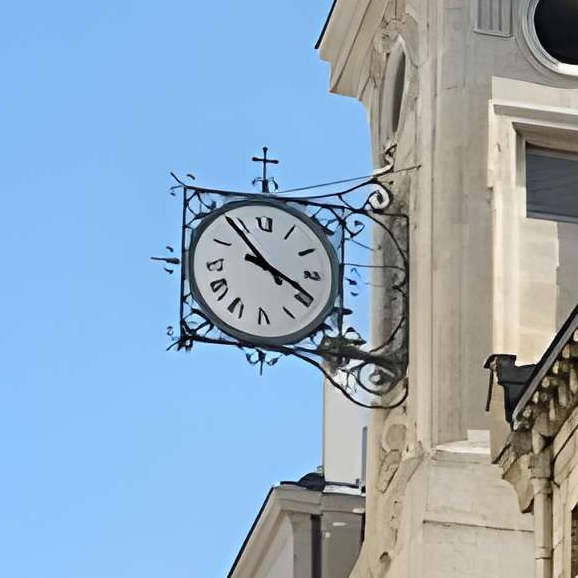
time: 3:53
